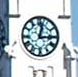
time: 3:02
